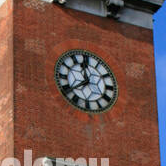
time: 11:38
